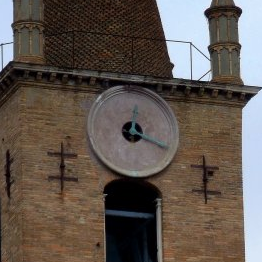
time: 12:18
